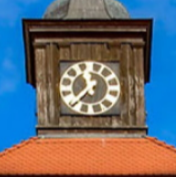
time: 11:37
